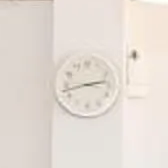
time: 2:42
